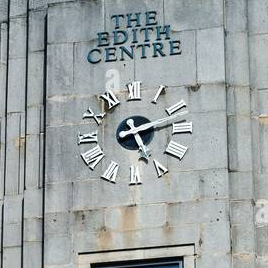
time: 5:13
